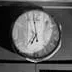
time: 6:58
